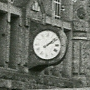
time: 2:08
